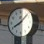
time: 8:07
